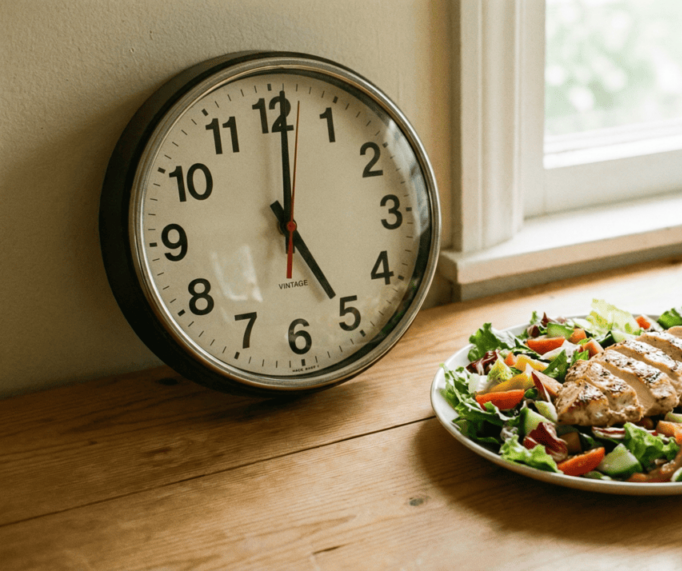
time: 5:00
